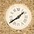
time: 1:39
